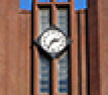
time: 2:36
